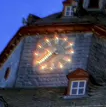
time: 2:38
